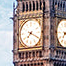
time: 7:19
